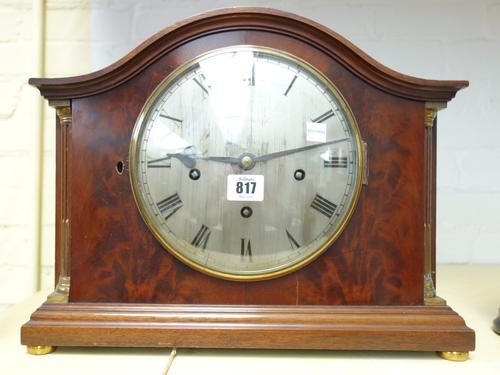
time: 9:12
